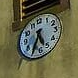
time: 5:35
